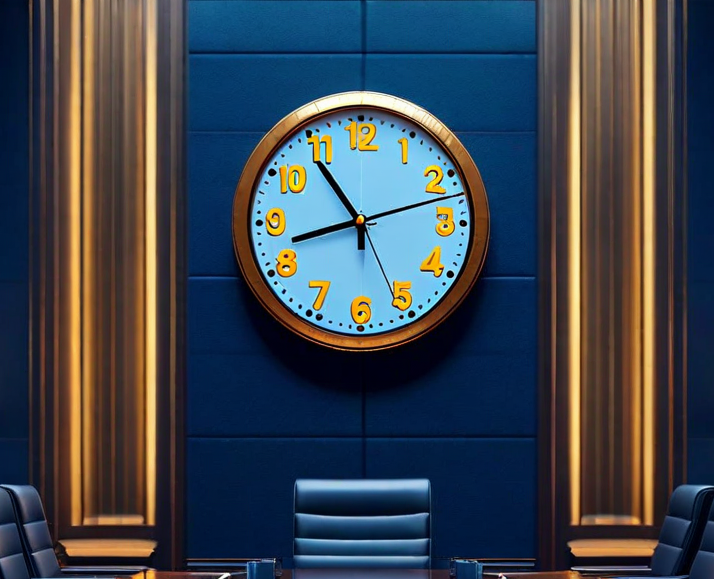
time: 10:42
